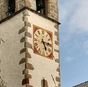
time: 5:15
